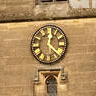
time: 12:22
